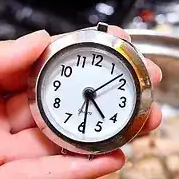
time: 4:29
